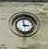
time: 2:58
